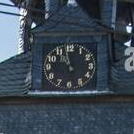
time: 10:57
